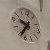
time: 9:34
